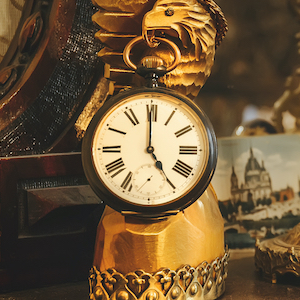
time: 4:59
